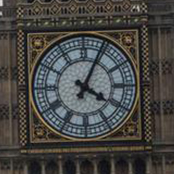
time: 4:04
